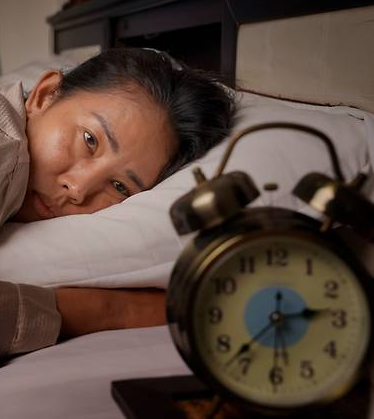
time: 2:37
